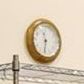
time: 11:32
